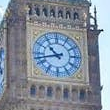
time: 10:42
